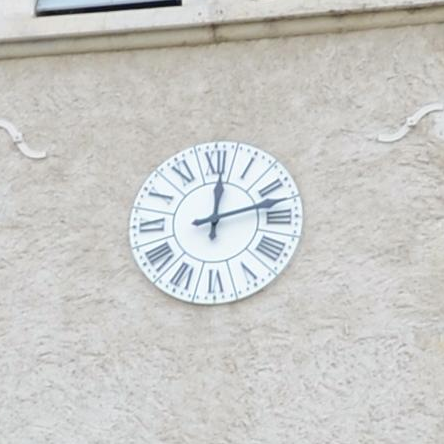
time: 12:12
